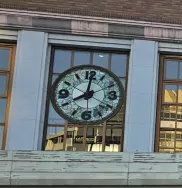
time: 8:01
